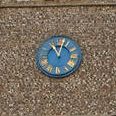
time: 11:02
